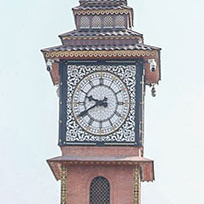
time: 9:40
